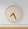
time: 7:25
